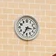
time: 3:34
